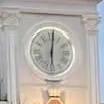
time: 6:01
